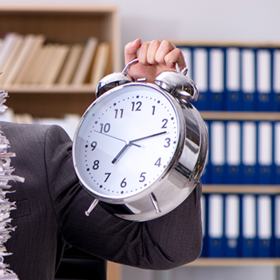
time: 7:12
